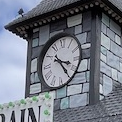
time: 3:22
